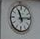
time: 11:13
